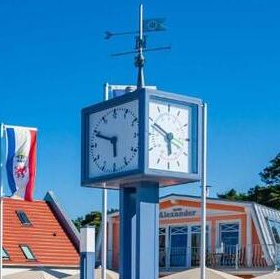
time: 5:49
